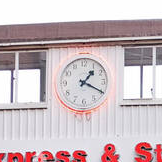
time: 1:19
